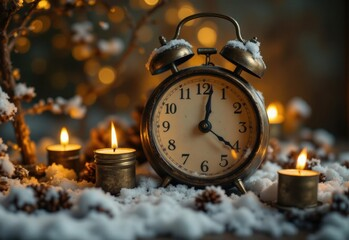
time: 12:21
